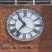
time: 10:36
